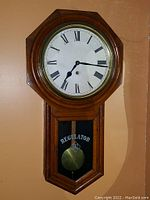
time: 7:15
